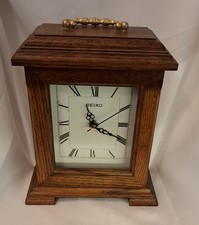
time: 11:19
